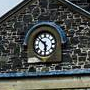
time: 5:51
